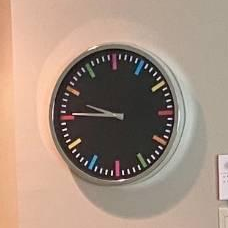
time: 9:45
